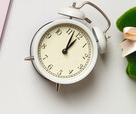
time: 1:02
